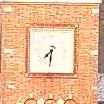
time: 7:31
